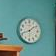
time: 1:41
